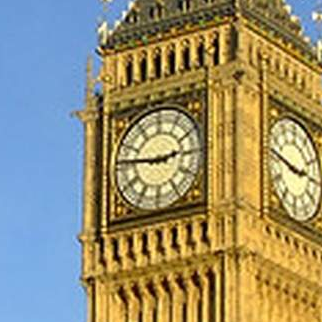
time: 2:46
